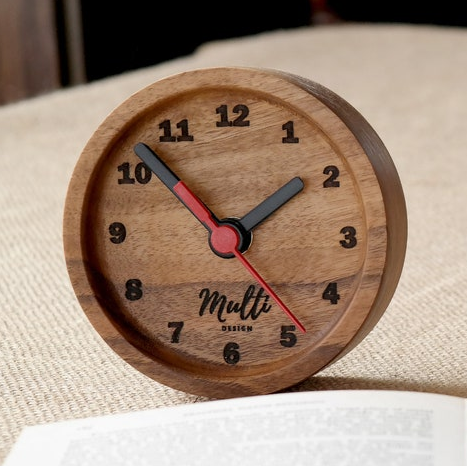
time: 1:52
